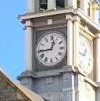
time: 12:44
